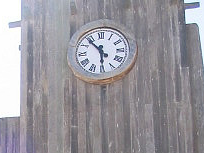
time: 5:53
